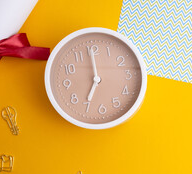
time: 7:00
